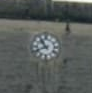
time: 10:41
